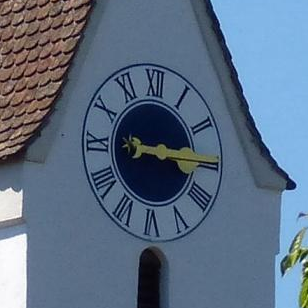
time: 3:15
